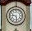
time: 9:28
